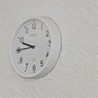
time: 9:45
